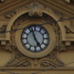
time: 4:56
